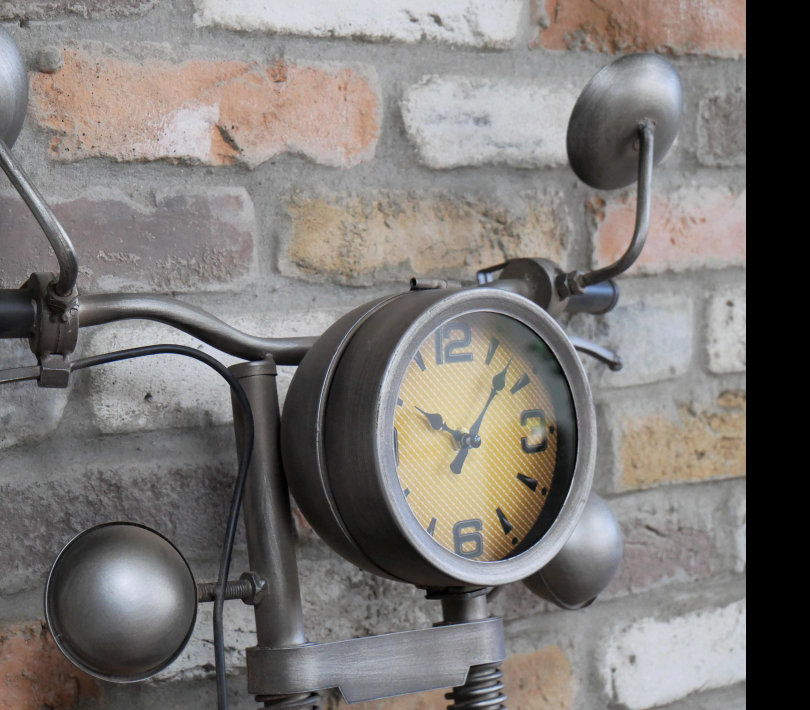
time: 10:07
